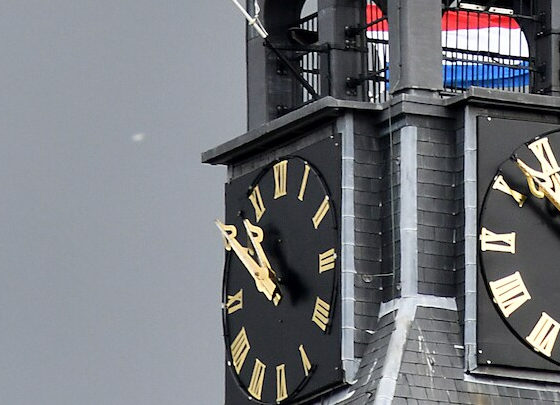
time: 10:50
